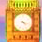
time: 4:17
